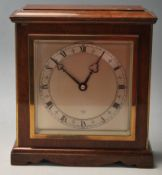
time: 12:52
